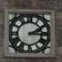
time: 2:15
